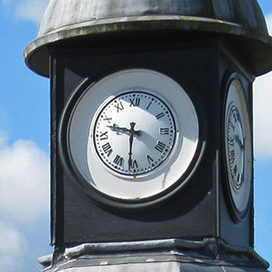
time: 9:31
